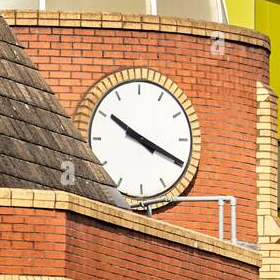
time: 10:19
